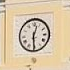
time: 12:29
